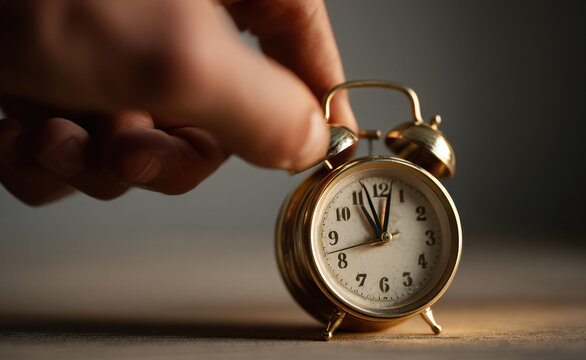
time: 11:02
